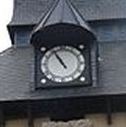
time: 10:55
